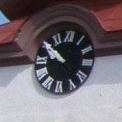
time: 9:50
